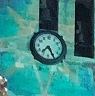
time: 7:25
